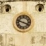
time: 3:47
